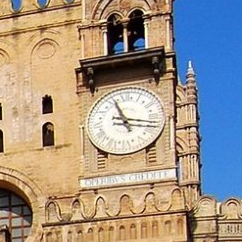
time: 11:16
